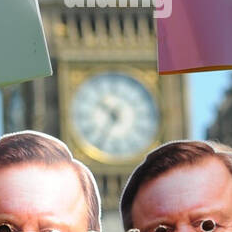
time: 10:35
